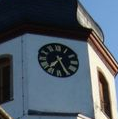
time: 7:25
